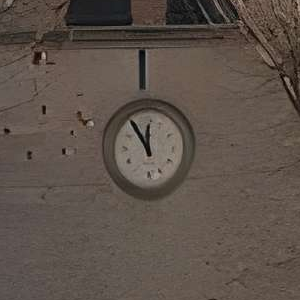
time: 11:54
